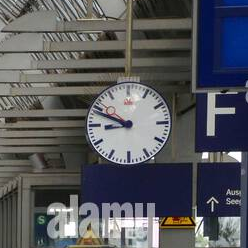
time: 8:48
